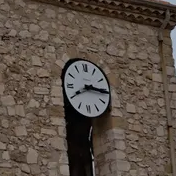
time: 8:15
